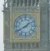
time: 1:40
